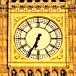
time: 6:34
